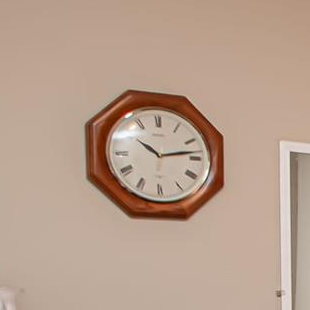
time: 10:13
